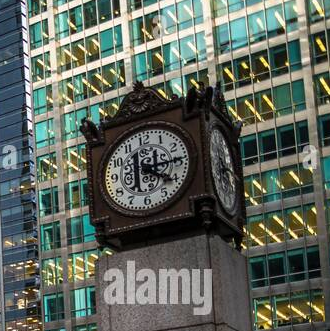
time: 4:14
